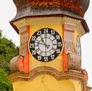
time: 10:47
